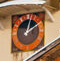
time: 2:02
